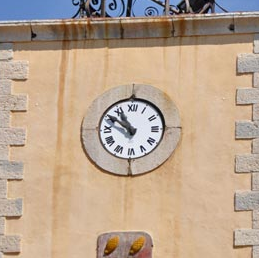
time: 10:50
